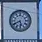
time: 5:40
